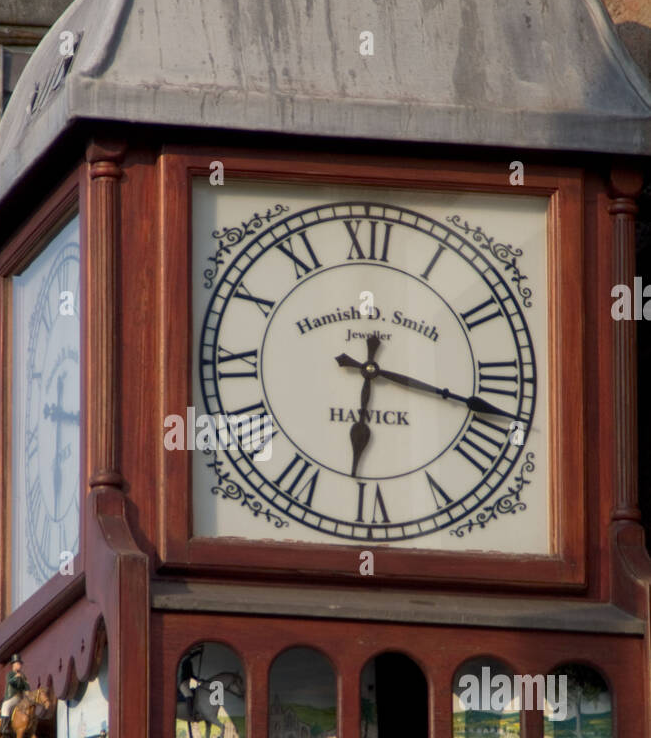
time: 6:17
